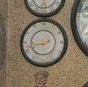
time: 8:42
